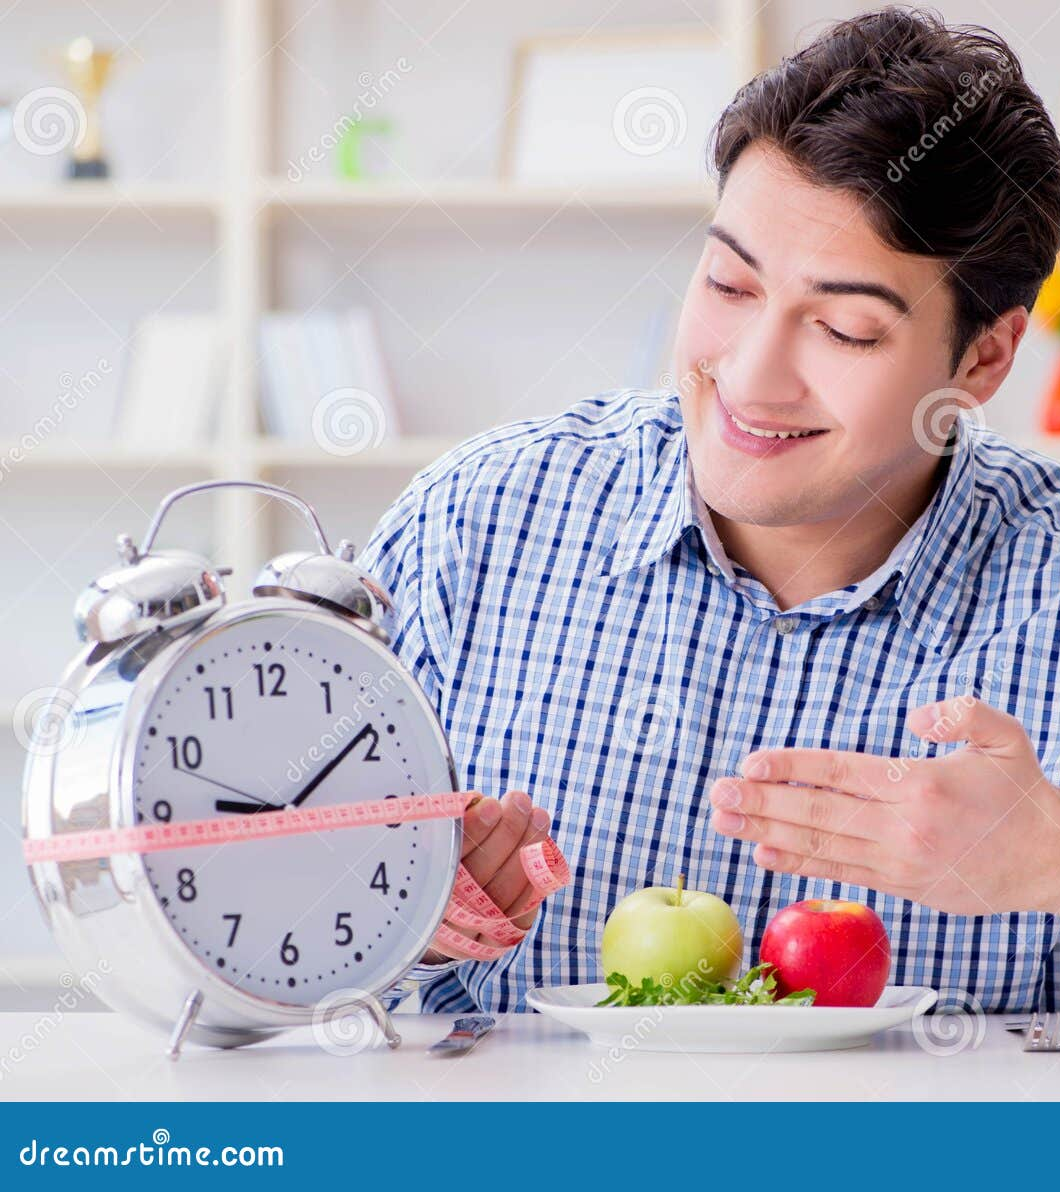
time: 9:09
